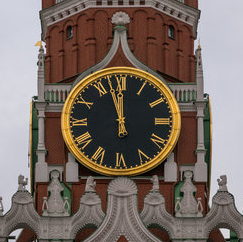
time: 11:57
